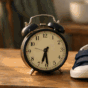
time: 6:29
